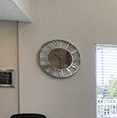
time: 10:30
